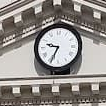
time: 9:34
